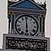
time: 5:59
